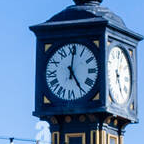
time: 5:00
